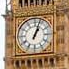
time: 1:03
